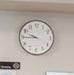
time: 9:44
